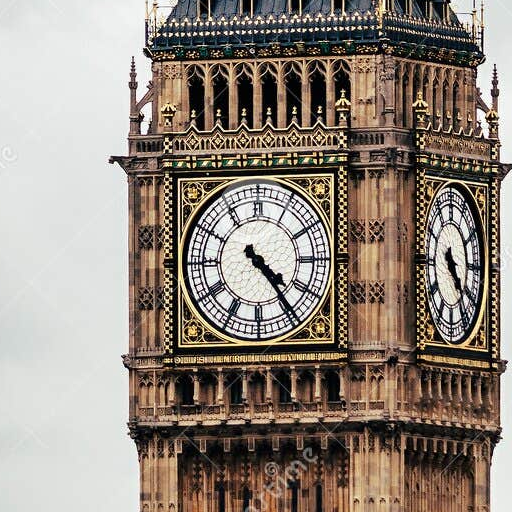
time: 4:23
